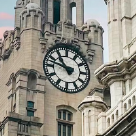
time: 10:47
